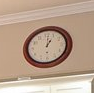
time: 1:01
